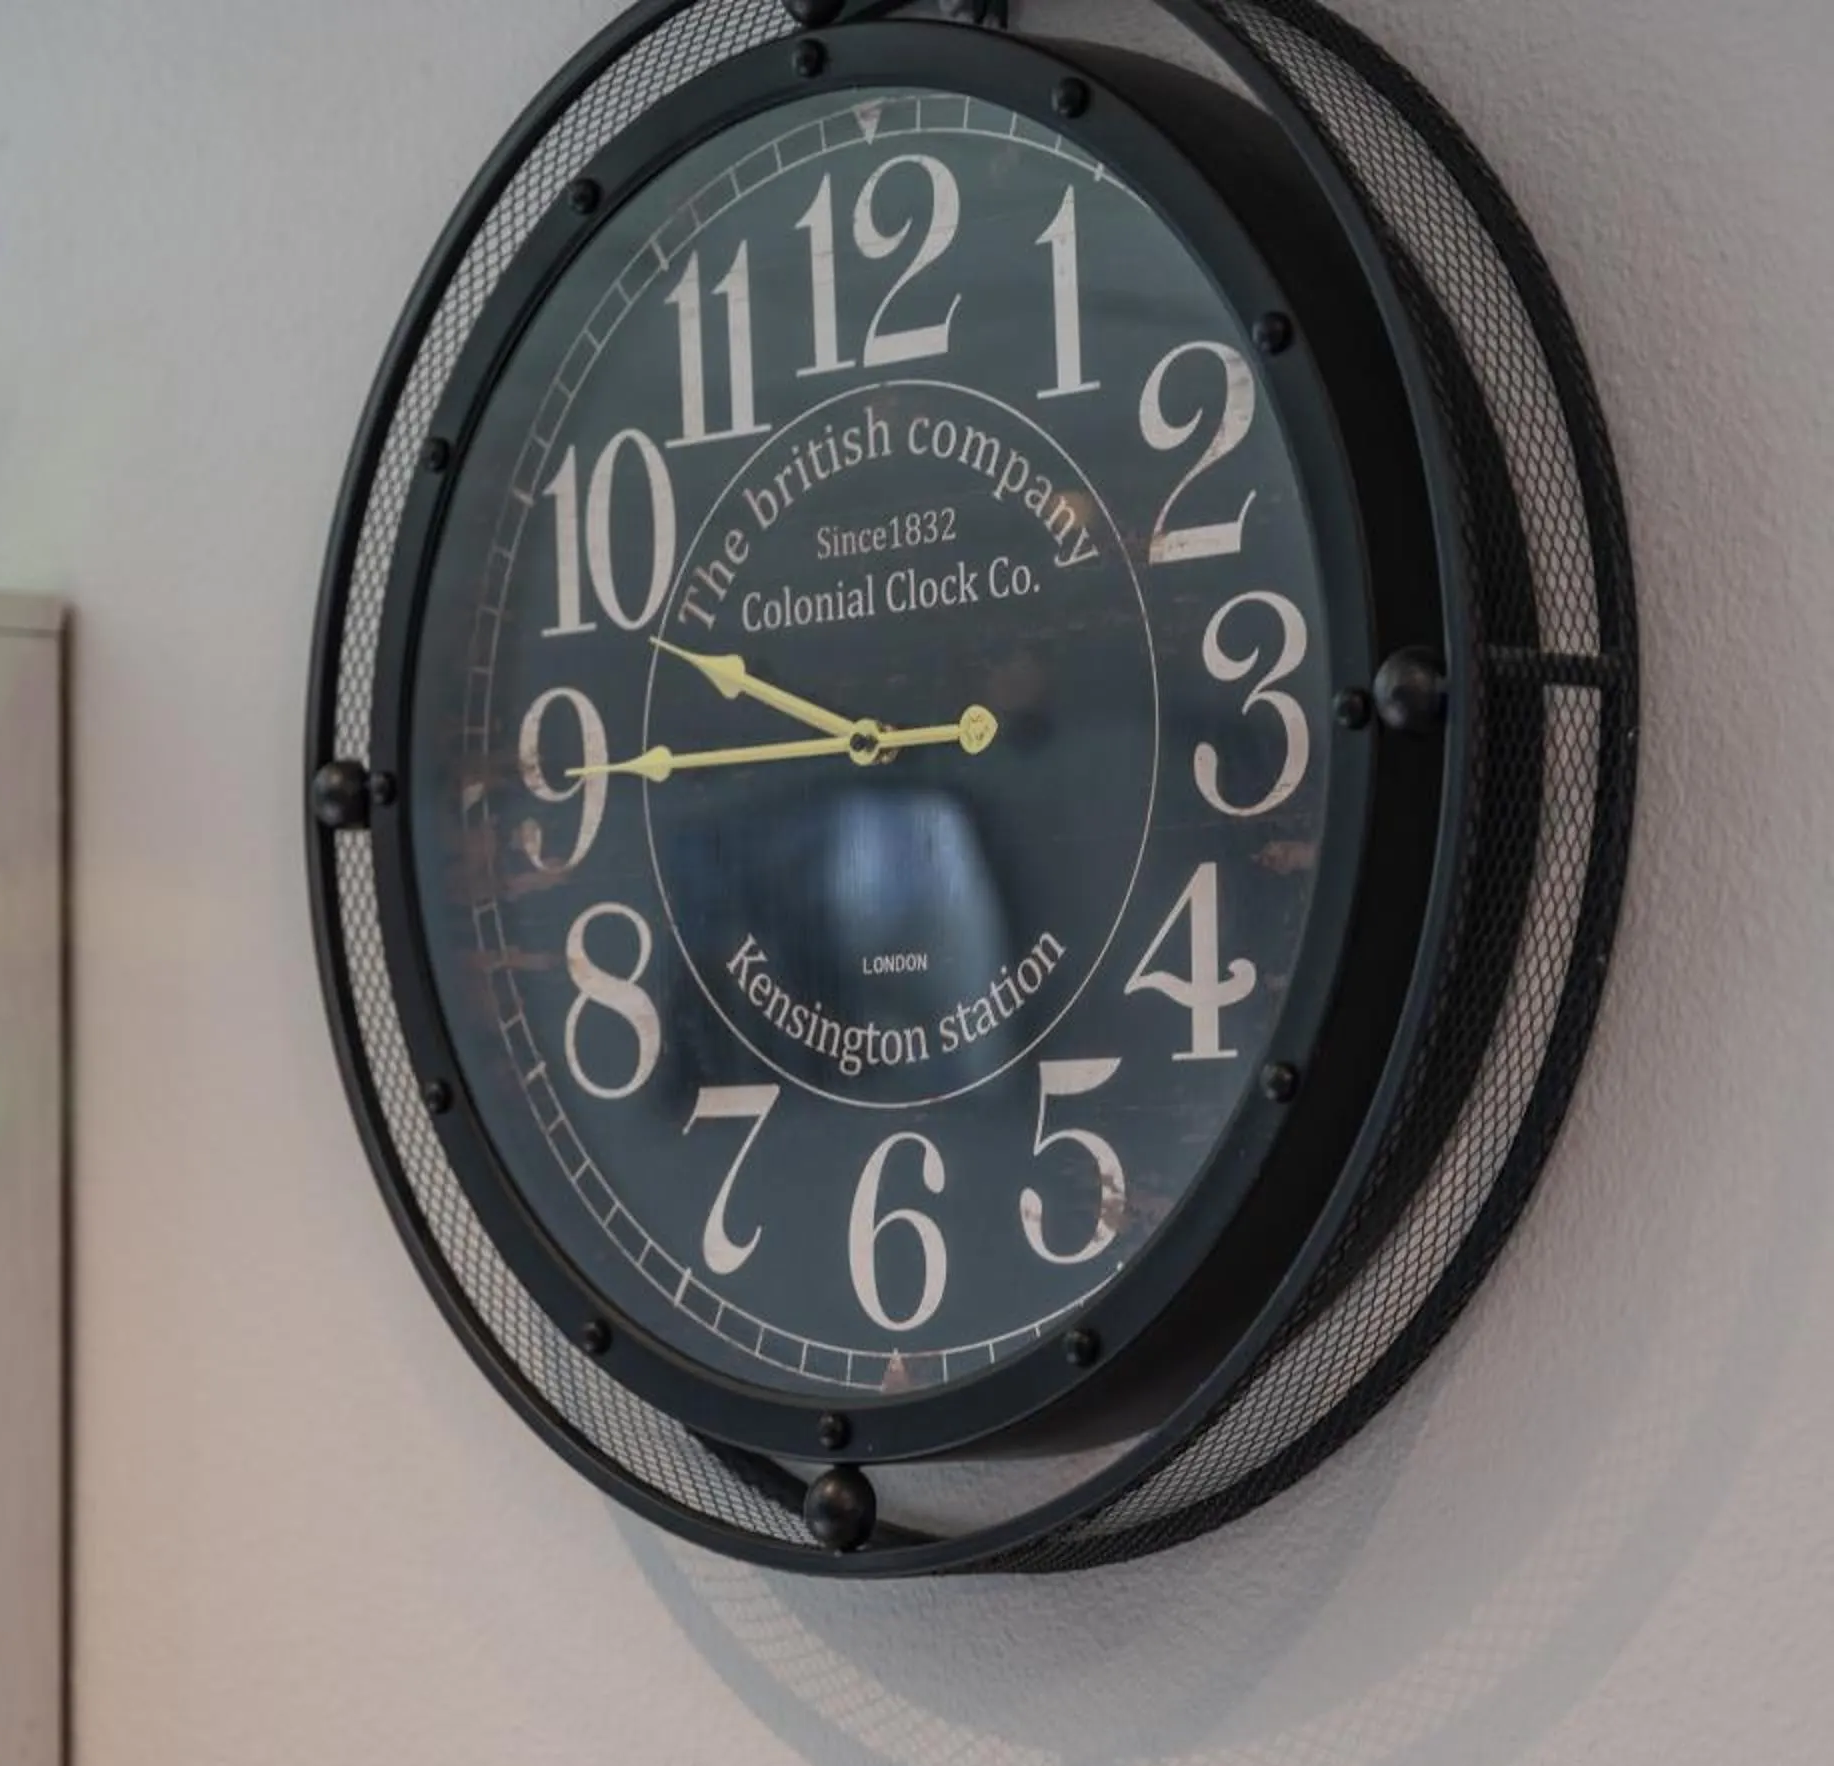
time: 9:45
